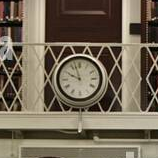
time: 9:57
